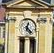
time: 12:23
